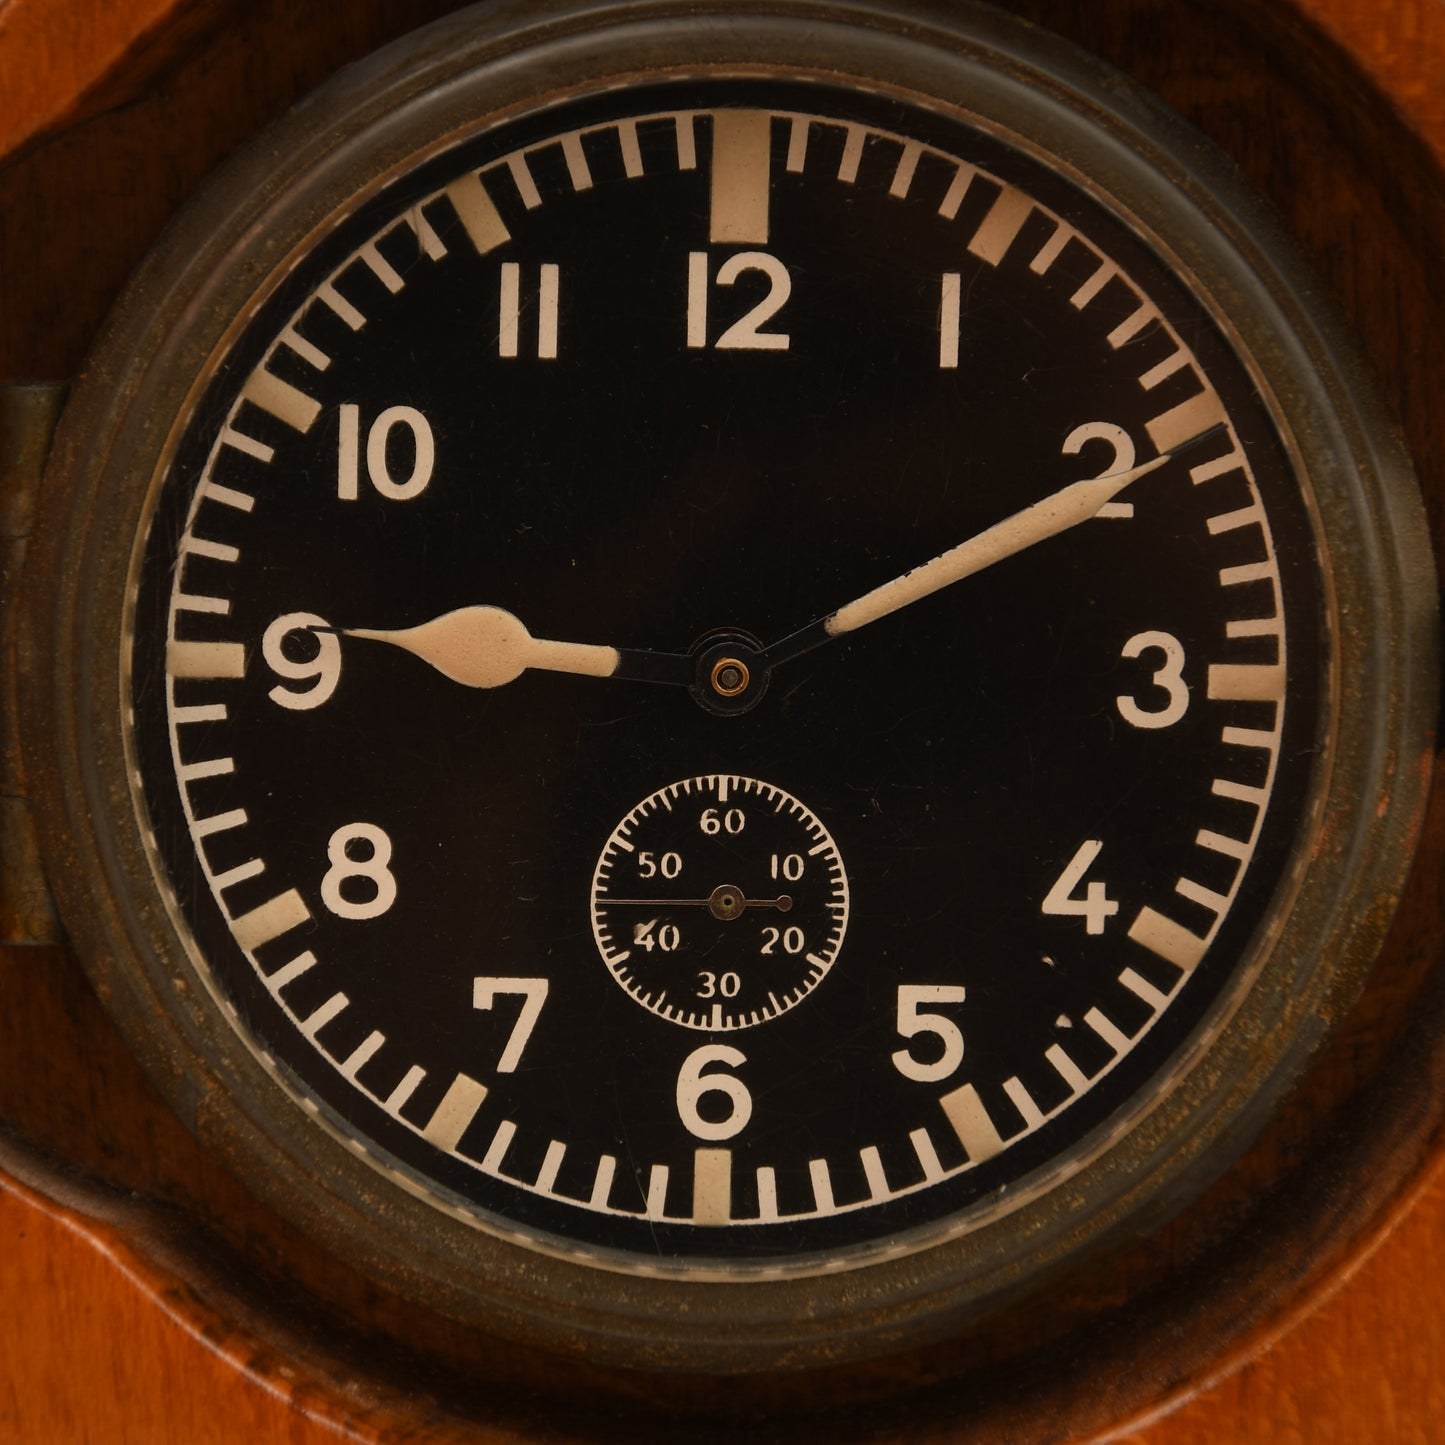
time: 9:10
